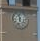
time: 11:32
